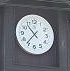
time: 10:36
